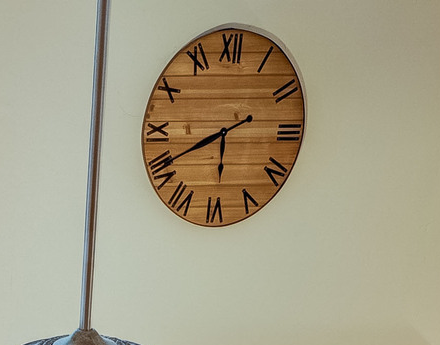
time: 5:40
